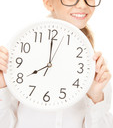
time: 7:59
